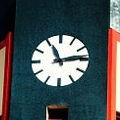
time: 11:13
